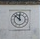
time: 11:52
